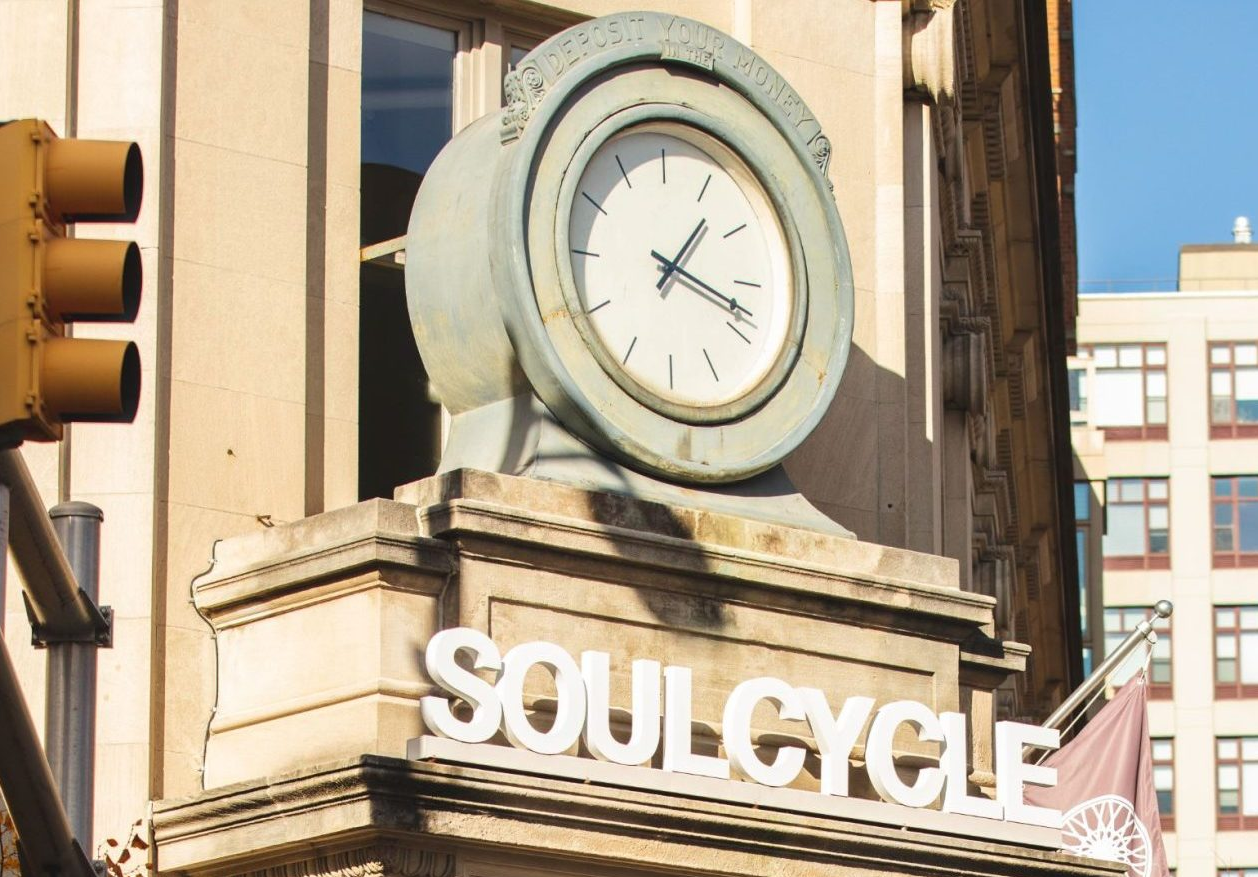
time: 1:18
